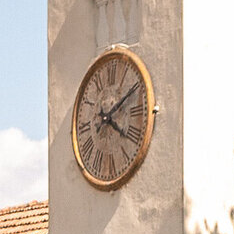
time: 4:10
